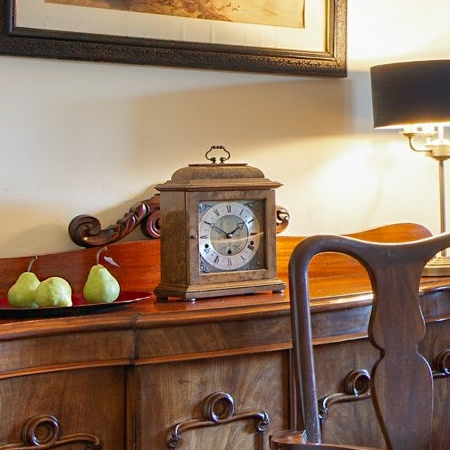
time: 1:50
